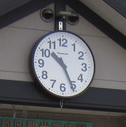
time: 10:25
